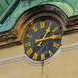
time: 1:13
